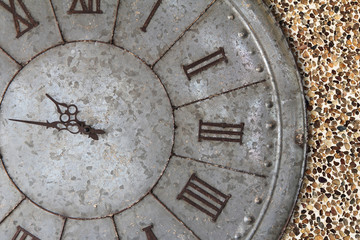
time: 9:44
